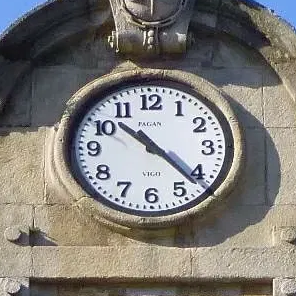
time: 10:22
